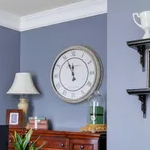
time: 11:55
